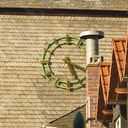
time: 5:18
